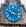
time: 2:48
